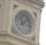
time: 11:07
